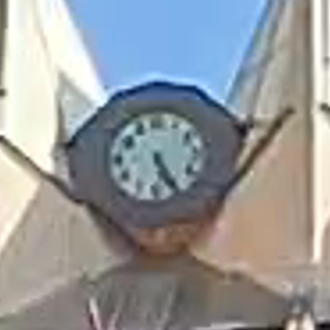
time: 5:24
